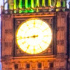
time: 8:44
